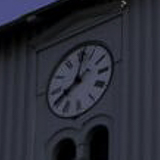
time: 8:01
